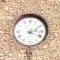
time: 2:18
